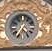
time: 4:35
